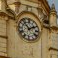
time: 1:52
